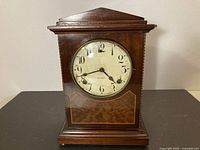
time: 4:42
